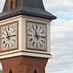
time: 11:14
